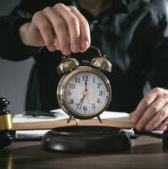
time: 7:00
